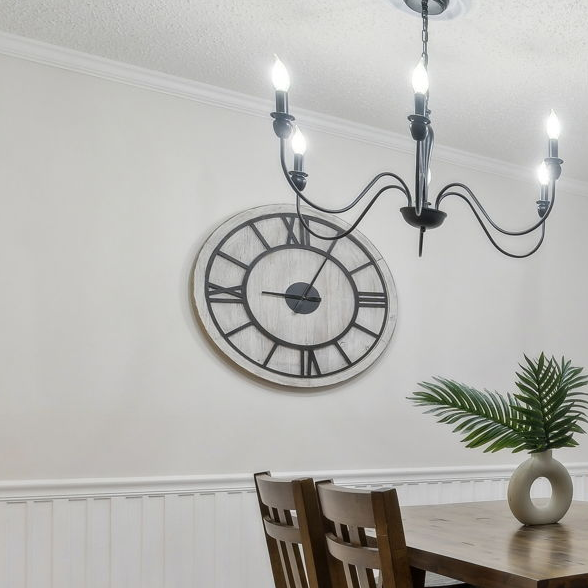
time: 9:05
